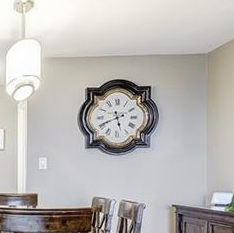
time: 5:40
